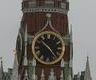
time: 10:23
